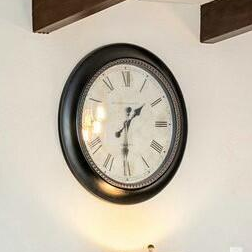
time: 1:30
